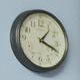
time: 1:18
